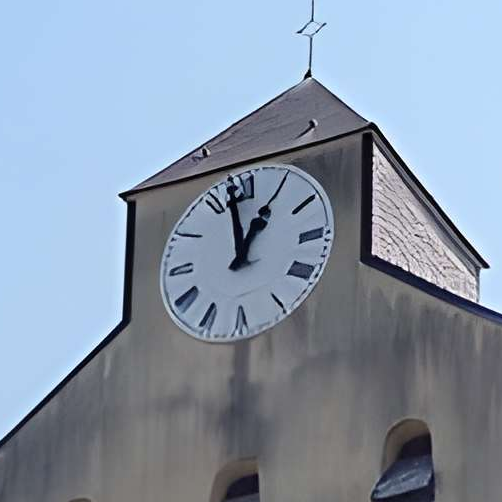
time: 12:58
